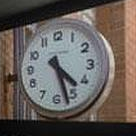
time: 4:27
